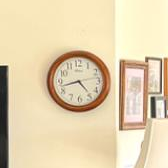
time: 4:42
